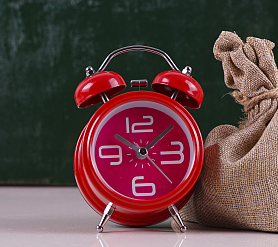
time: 10:08
